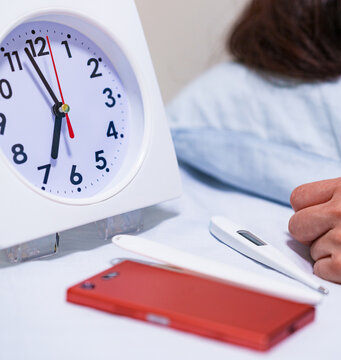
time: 6:57
